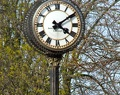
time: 4:09
